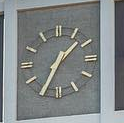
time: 1:34
